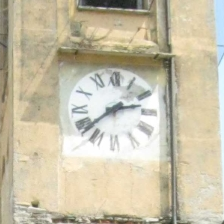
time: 2:38
